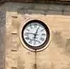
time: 12:46
